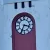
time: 3:34
